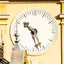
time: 10:27
